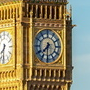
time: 7:30
